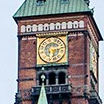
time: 6:12
